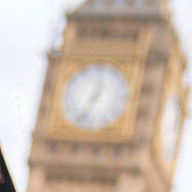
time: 12:33
